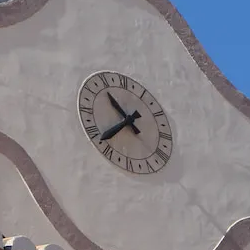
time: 10:37
